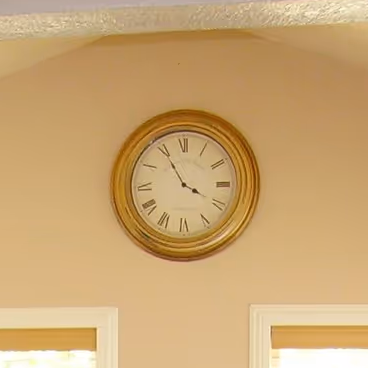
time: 3:55
